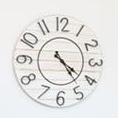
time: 4:23
